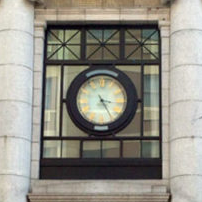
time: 3:24
